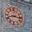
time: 8:16
